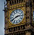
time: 2:40
